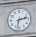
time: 2:32
